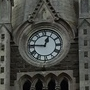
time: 12:46
